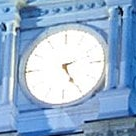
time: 2:25
